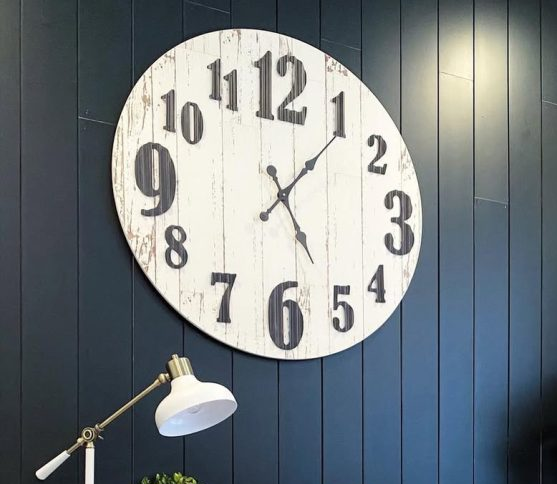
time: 5:06
